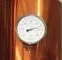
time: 8:12
